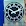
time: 2:48
